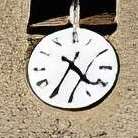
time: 4:34
